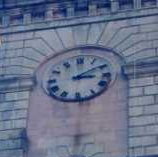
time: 3:09
